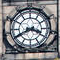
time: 3:40
